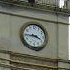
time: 3:44
